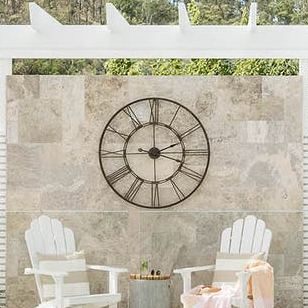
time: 2:18
